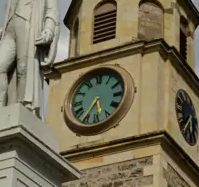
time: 5:35
